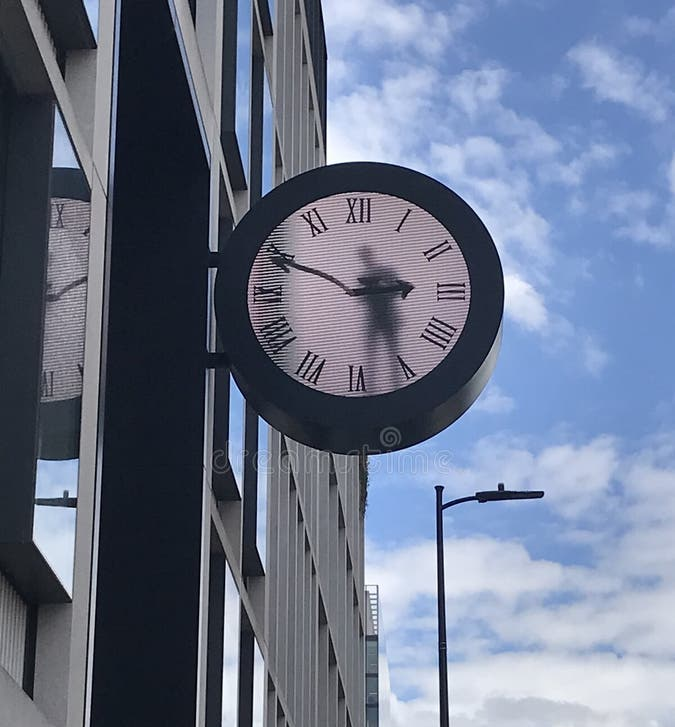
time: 2:48
